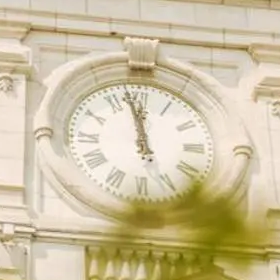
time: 11:58
